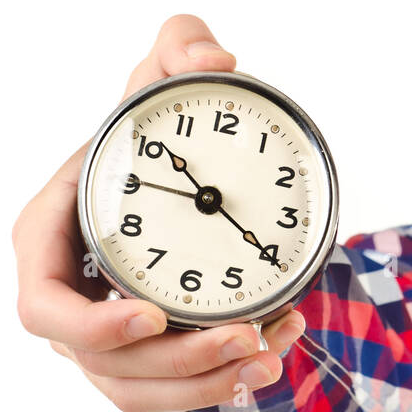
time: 10:20
